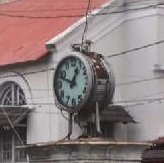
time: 12:48
